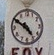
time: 4:50
